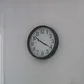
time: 10:20
